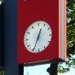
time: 12:34
